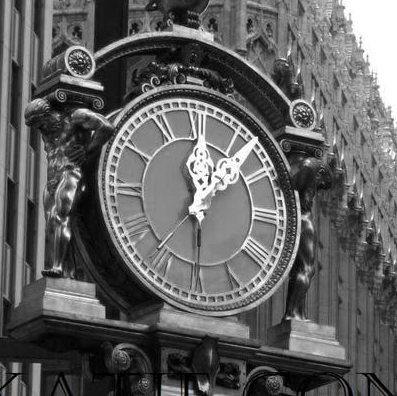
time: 12:07
